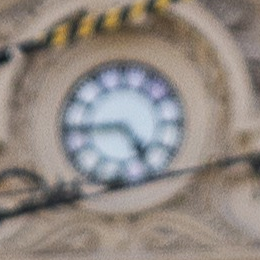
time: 4:44
